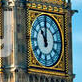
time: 11:00
